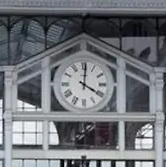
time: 4:01
